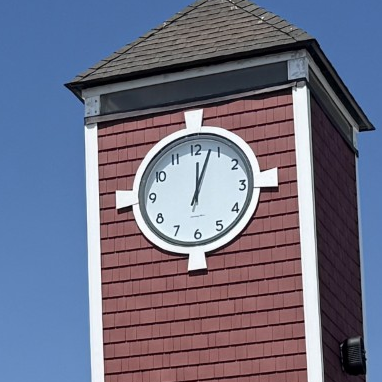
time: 12:03
